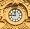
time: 11:45
